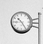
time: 10:24
